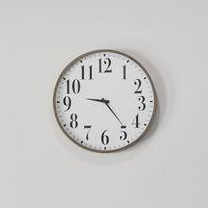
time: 9:23
